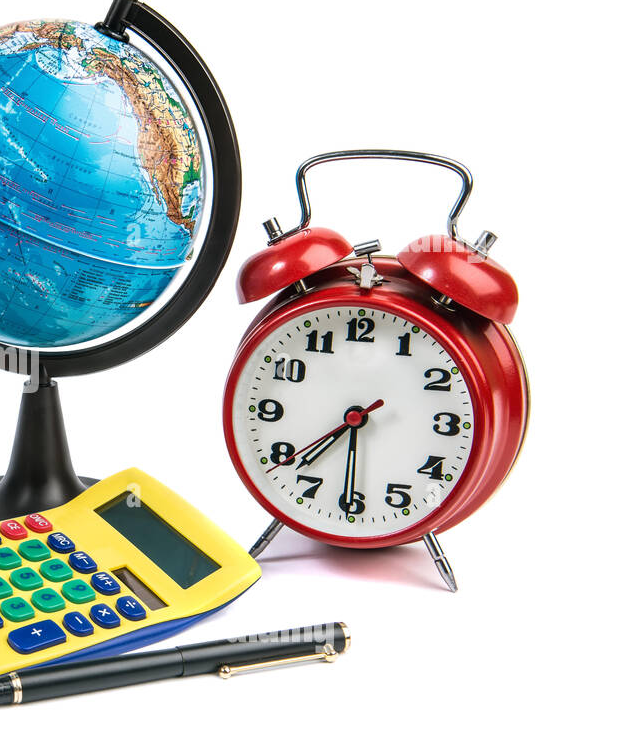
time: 7:30
